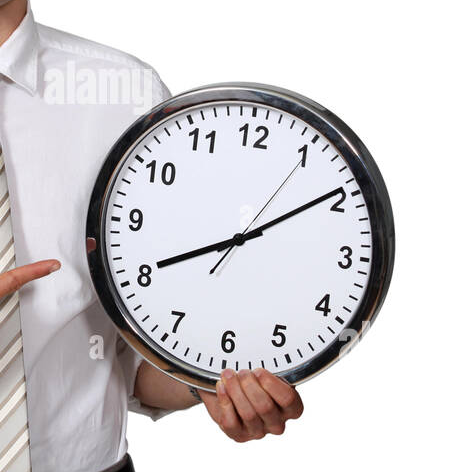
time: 8:09
